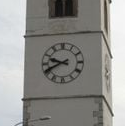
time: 9:40
